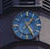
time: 1:24
